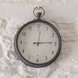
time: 12:14
